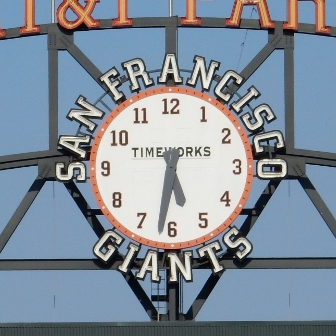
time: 5:31
